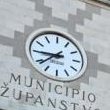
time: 7:44
